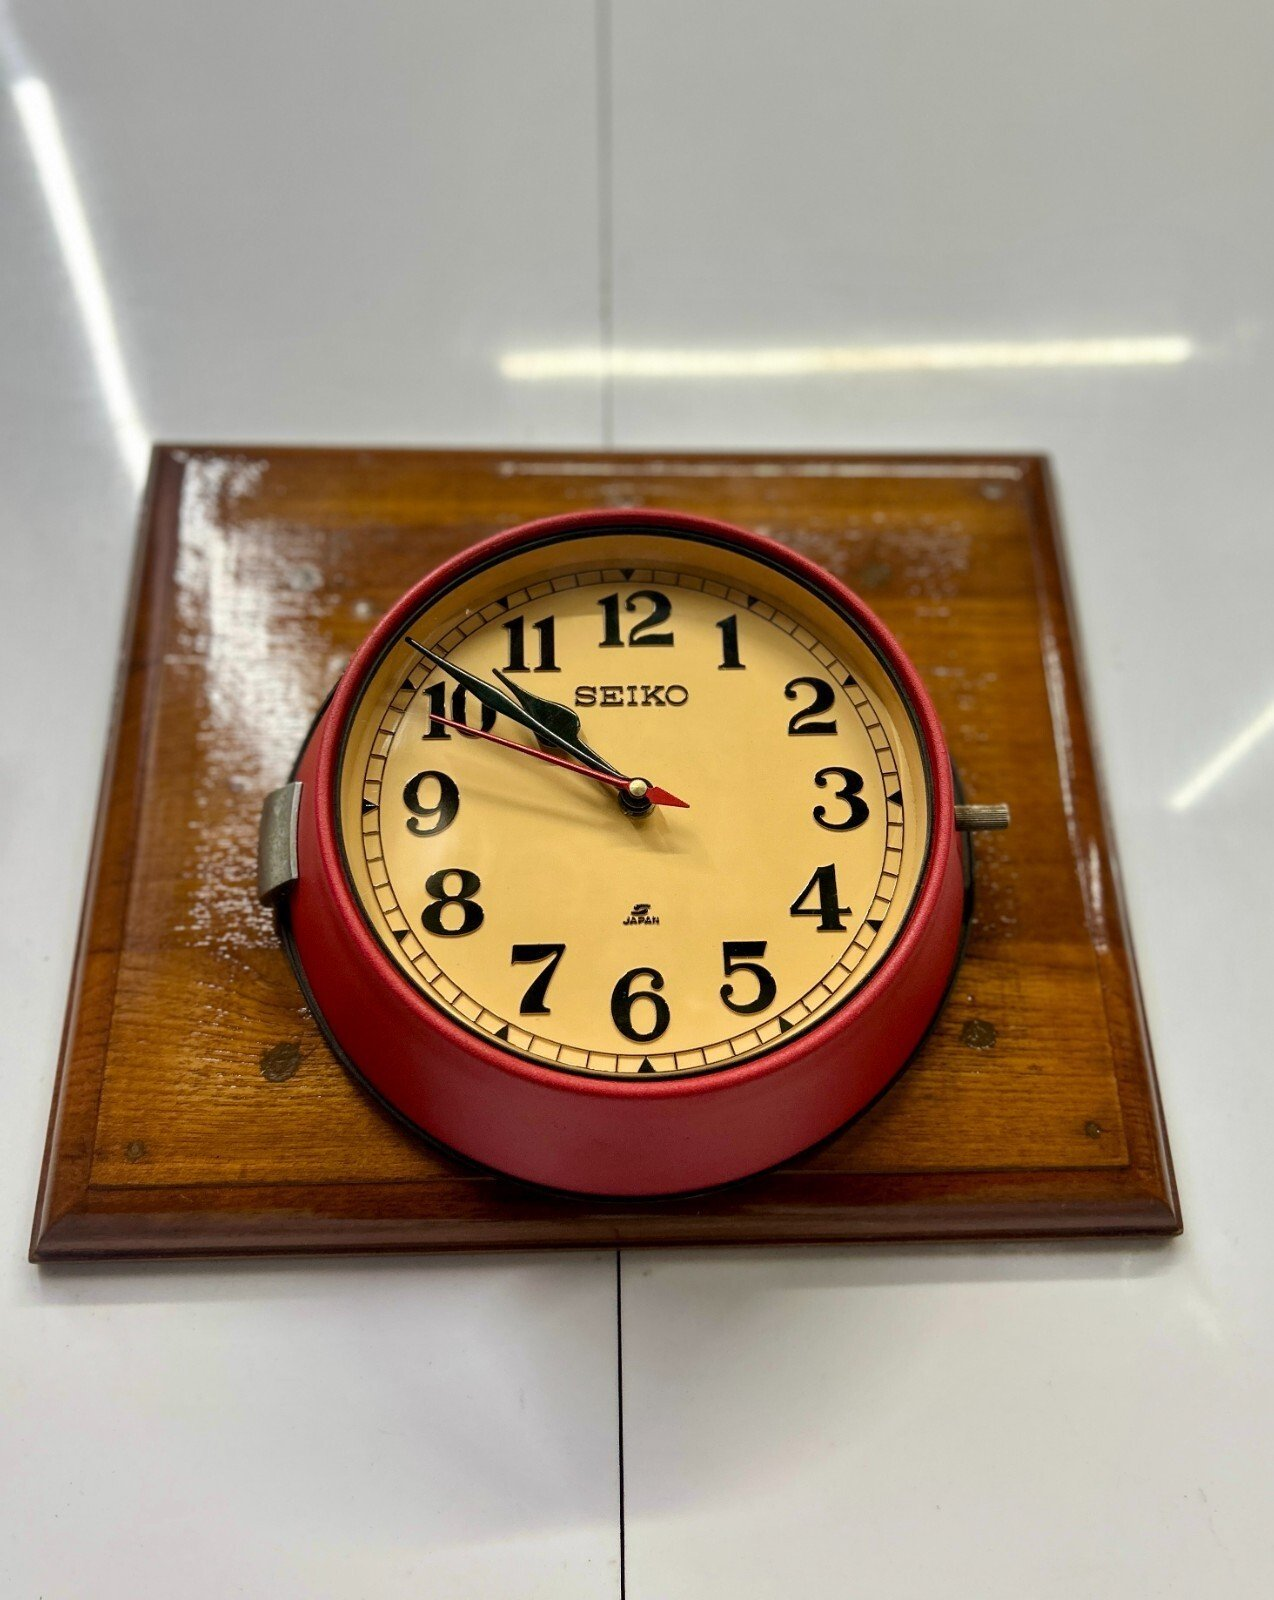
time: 10:51
